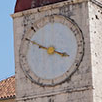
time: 3:50
